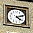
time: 4:12
